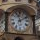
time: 11:10
